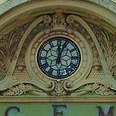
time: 12:04
